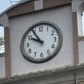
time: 9:54
